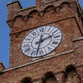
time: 2:32
